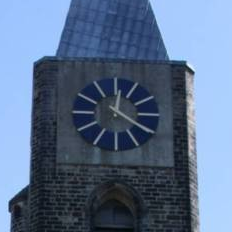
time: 12:20
